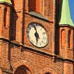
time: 5:57
